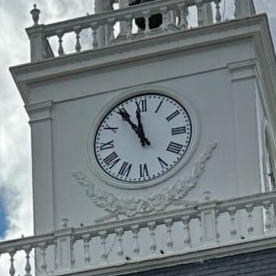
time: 10:58
